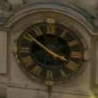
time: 3:51
